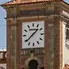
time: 1:38
